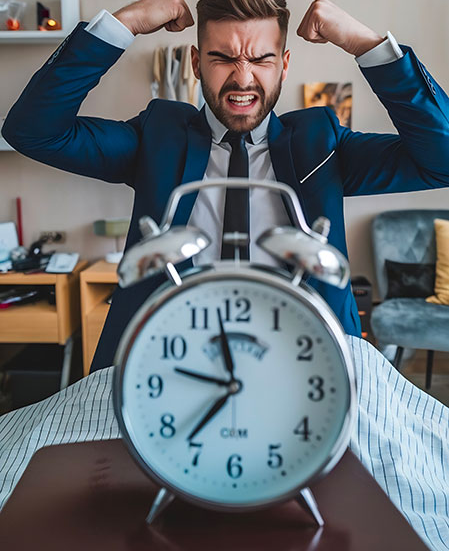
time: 11:36
